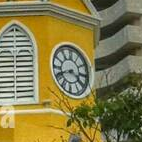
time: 3:41
